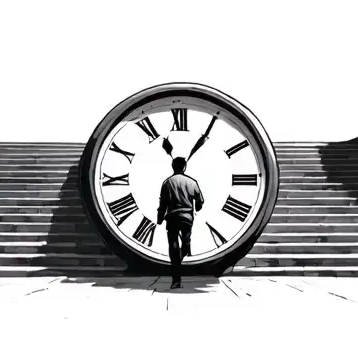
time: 11:05
